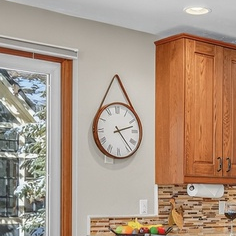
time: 2:23
